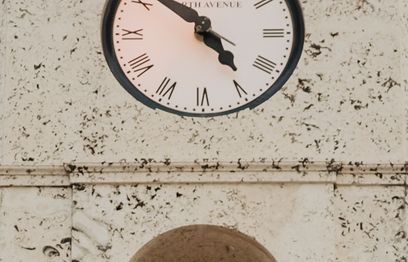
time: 4:51
